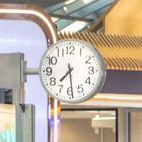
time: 7:29
